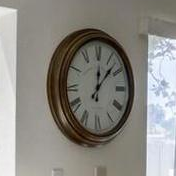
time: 12:07
